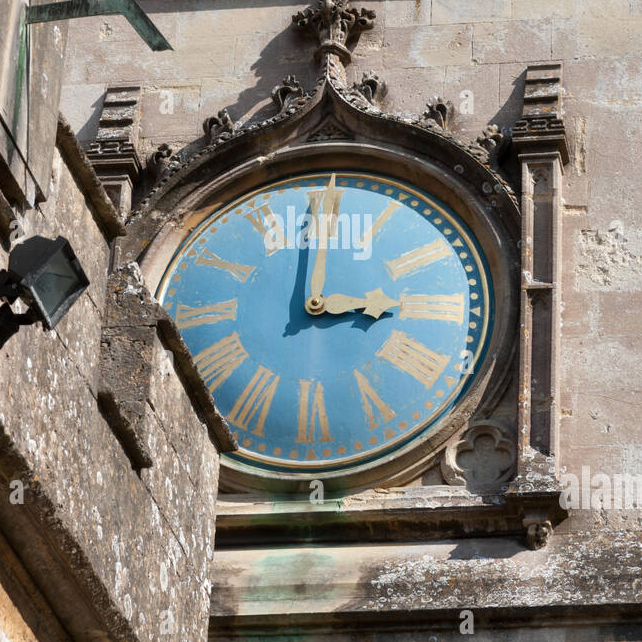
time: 3:00
